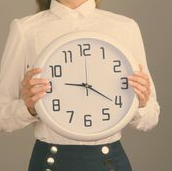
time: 9:20
